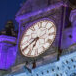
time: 6:40
